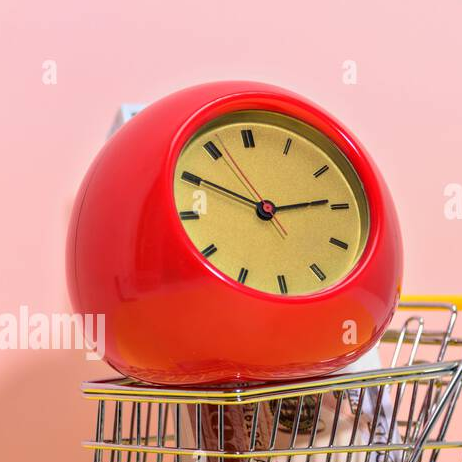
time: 2:49
